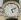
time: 5:09
